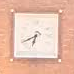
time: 6:40
